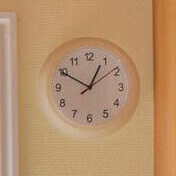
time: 12:49
